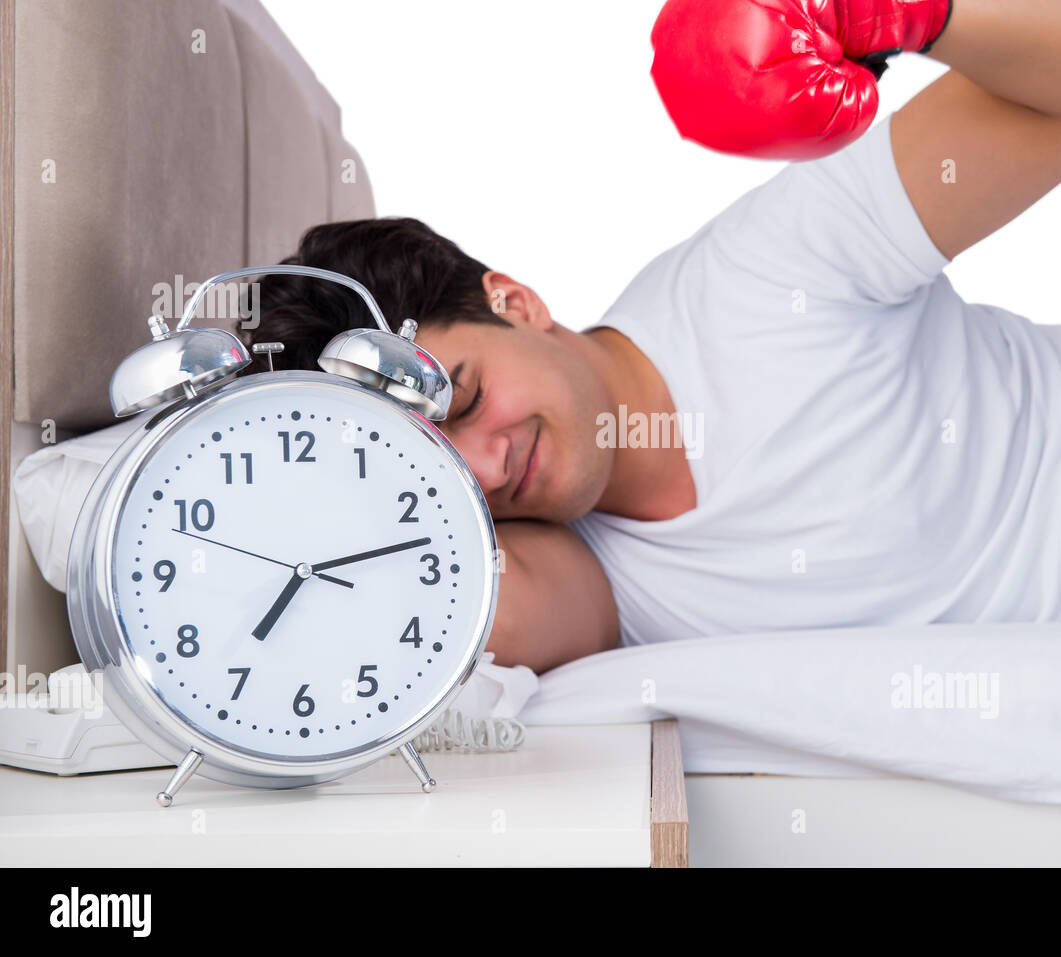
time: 7:13
